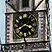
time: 3:40
